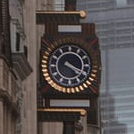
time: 4:19
